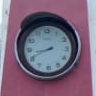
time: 8:41
